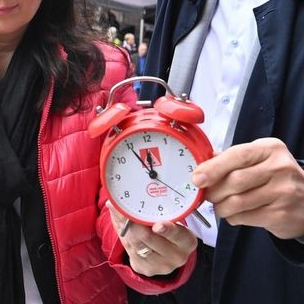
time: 11:54
